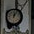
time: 12:04
